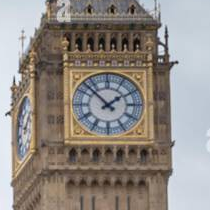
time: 1:52
